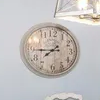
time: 7:44
